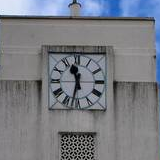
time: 11:32
